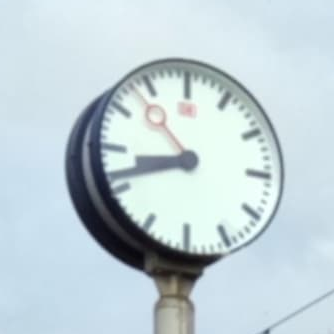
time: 8:41
